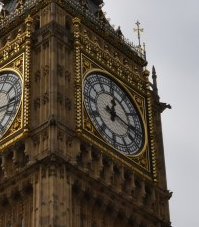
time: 12:16
